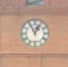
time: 12:55
